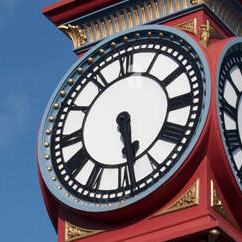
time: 5:28
